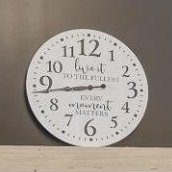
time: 8:43
